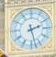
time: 2:27
